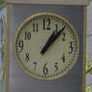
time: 1:07
